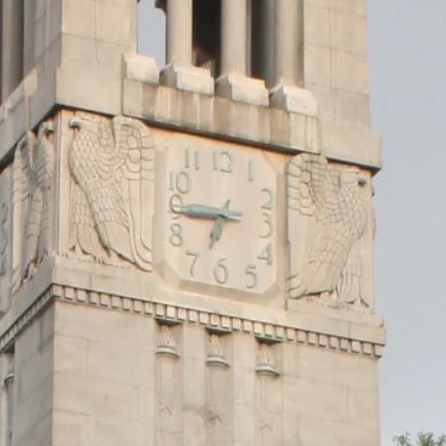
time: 6:44
